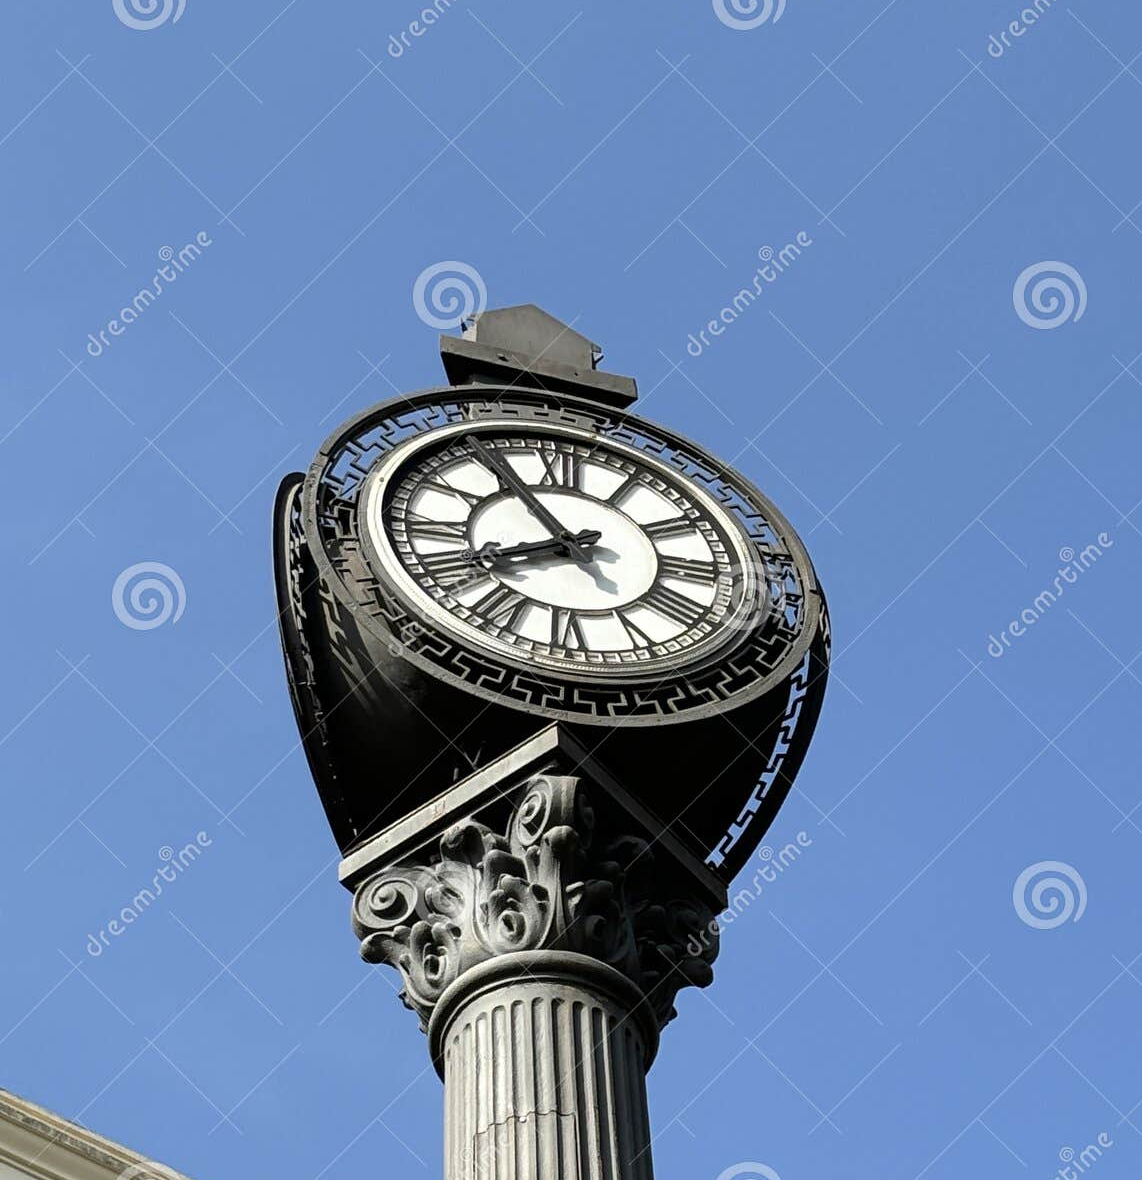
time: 7:55
